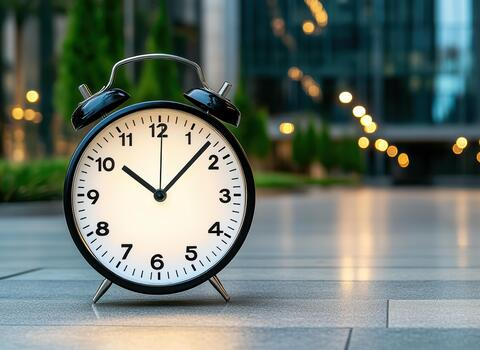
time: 10:07
